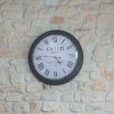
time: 4:46
